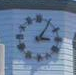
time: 3:05
